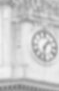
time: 1:32
